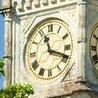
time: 11:18
